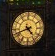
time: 4:41
